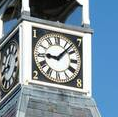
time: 9:07
